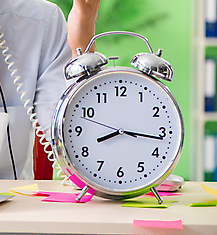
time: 8:16
